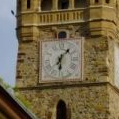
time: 6:07
